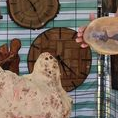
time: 5:22
